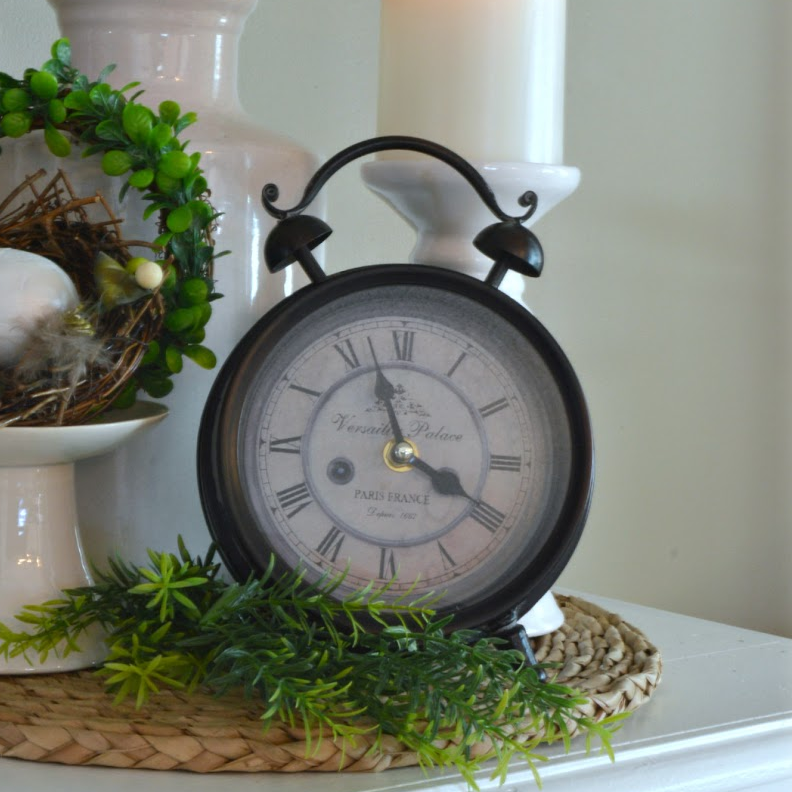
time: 3:57
